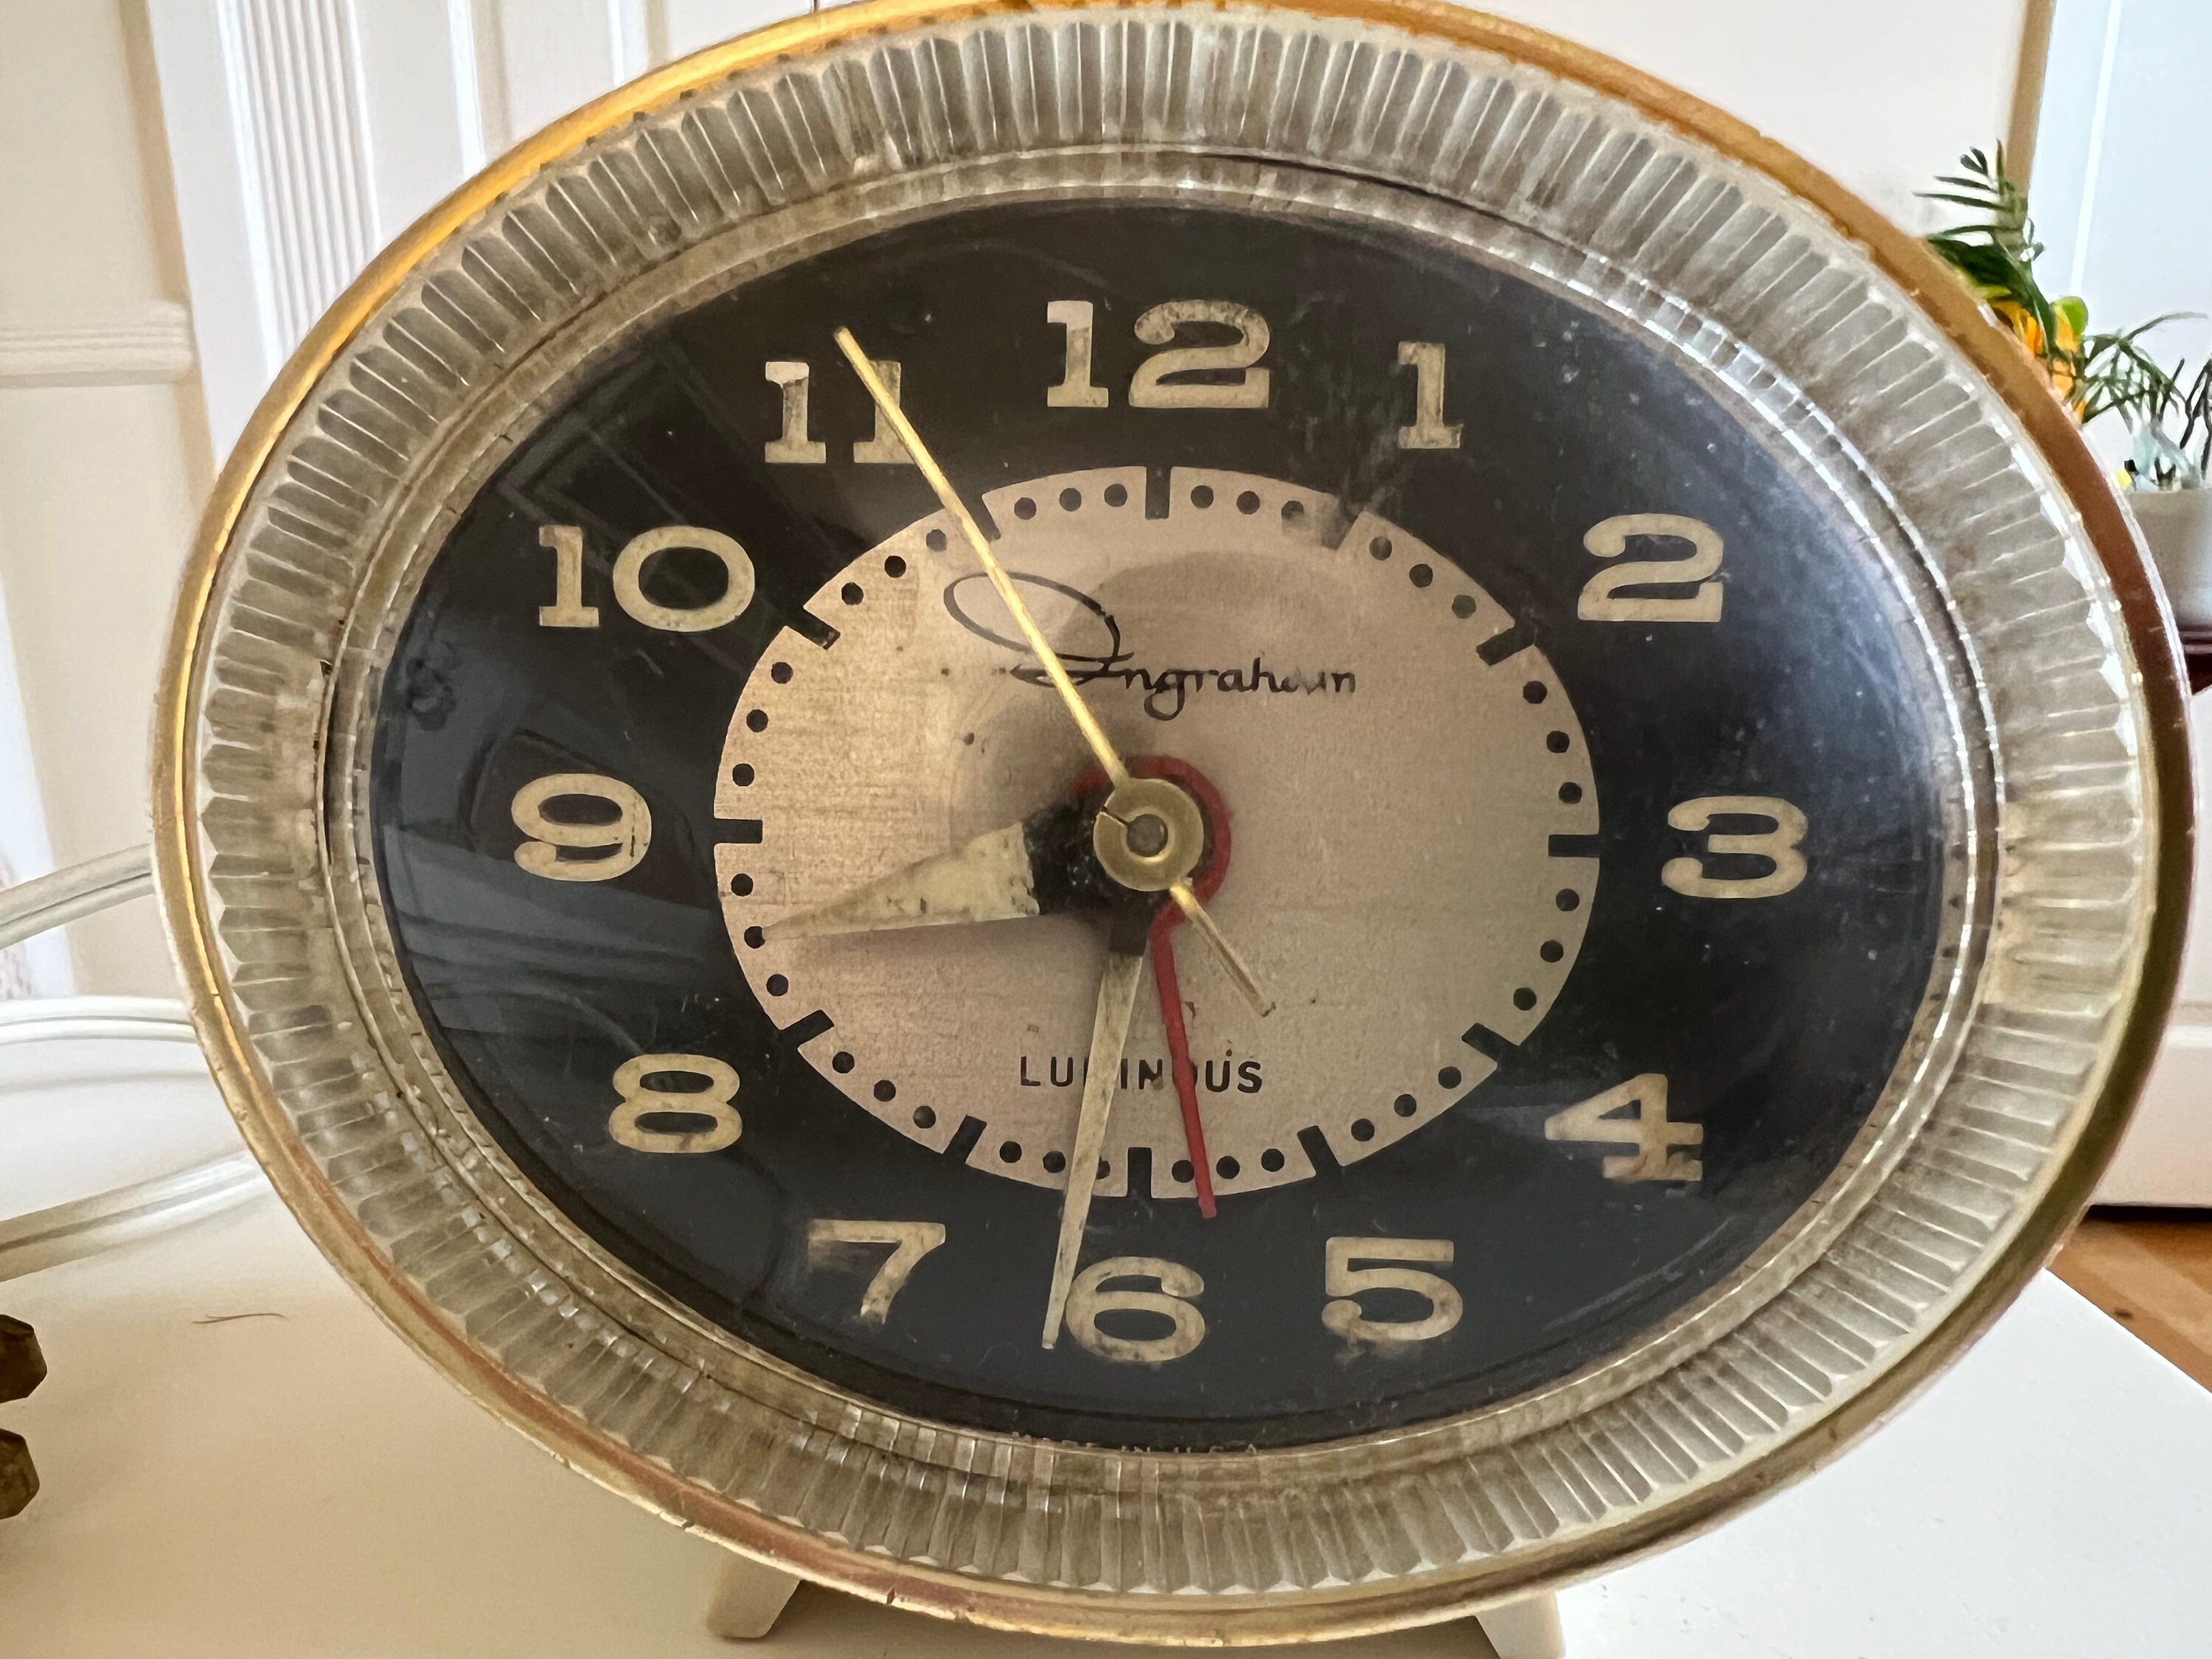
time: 5:55
